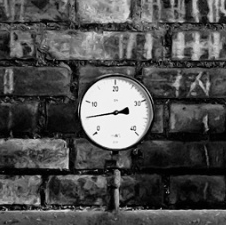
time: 2:45
